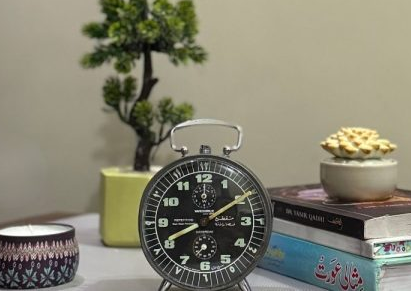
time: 8:09
